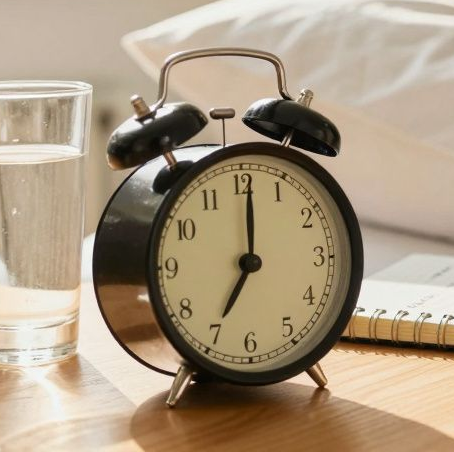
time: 7:00
